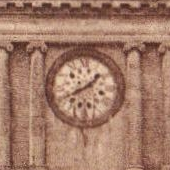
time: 1:41
